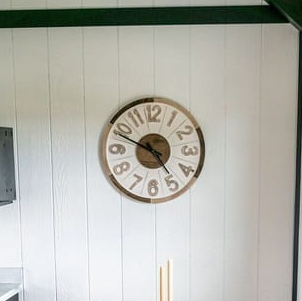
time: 4:48
